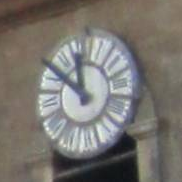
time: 11:51
